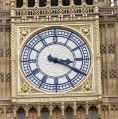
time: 3:20
